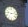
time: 9:12
